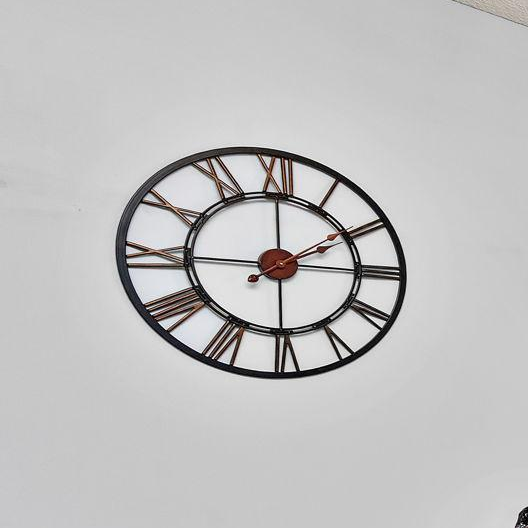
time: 2:00
